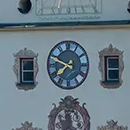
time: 7:48
